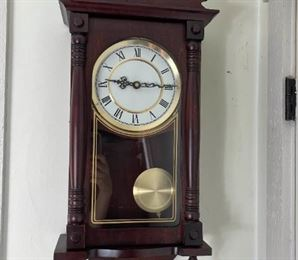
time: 9:15
